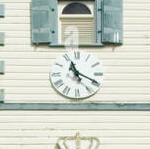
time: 11:19
